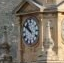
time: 10:50
